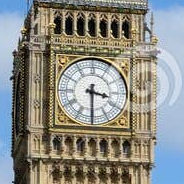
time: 3:29
